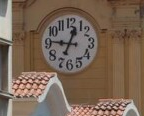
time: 12:45
